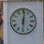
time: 6:01
